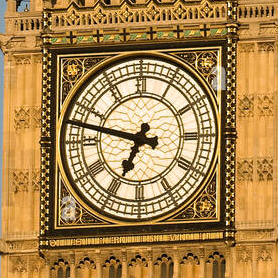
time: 6:47
